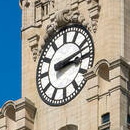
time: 3:12
